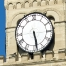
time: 5:28
